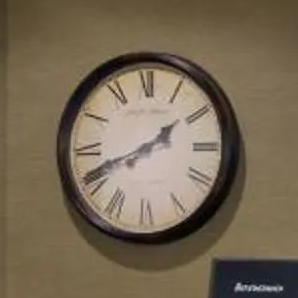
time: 1:41
